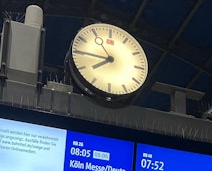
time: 7:45
